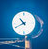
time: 10:41
